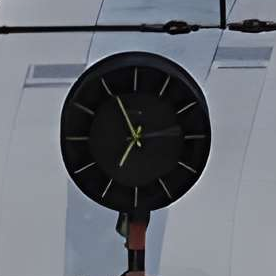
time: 6:55
